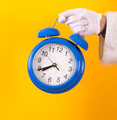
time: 7:39
